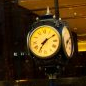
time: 7:09
